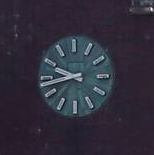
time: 9:42
